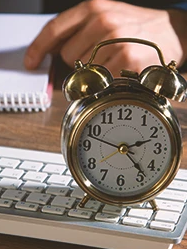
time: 2:23
